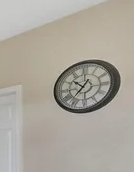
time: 10:36
